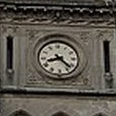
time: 8:22
